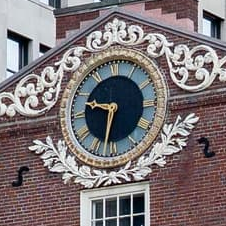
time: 9:32
